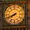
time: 7:41
